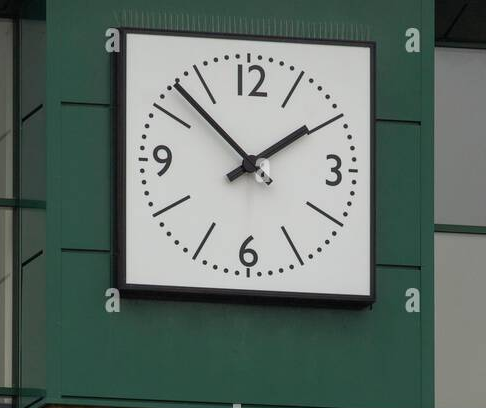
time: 1:52
